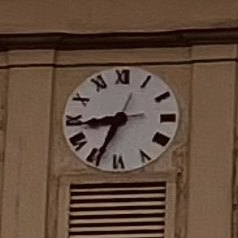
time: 8:34
